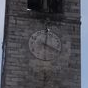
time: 4:01
